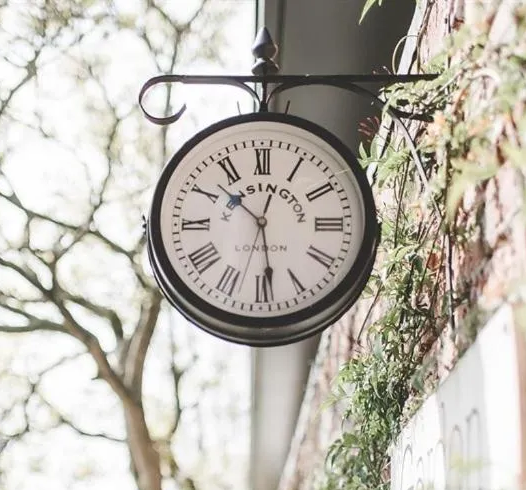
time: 10:28
